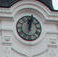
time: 12:03
